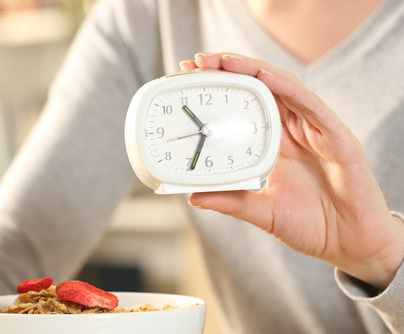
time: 10:33
